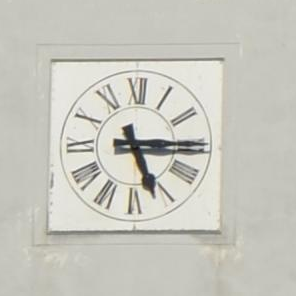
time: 5:15
